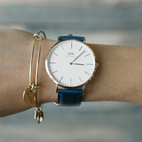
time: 3:07
